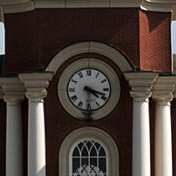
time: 4:18
